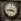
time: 3:43
